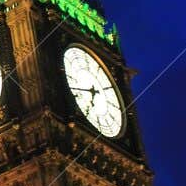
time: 6:41
